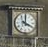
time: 4:00
